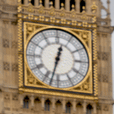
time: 12:32
